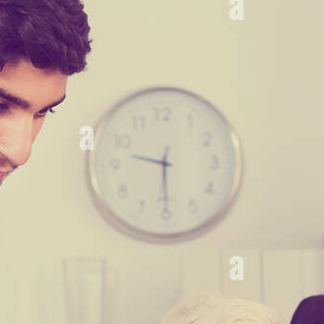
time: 9:30
